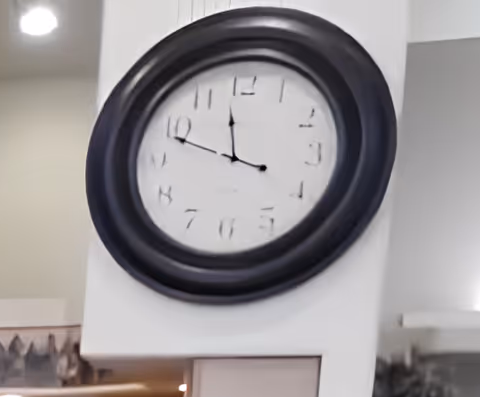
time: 11:48
